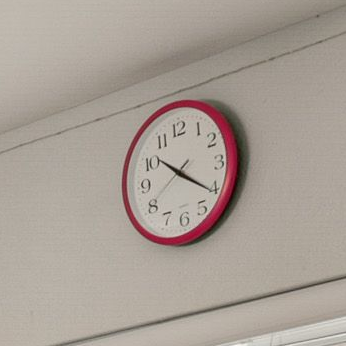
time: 10:20
